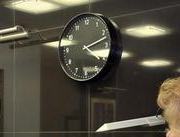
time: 4:12
